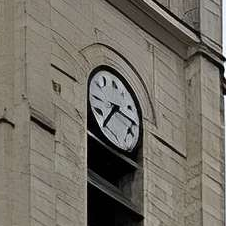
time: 7:15
